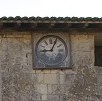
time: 9:04
